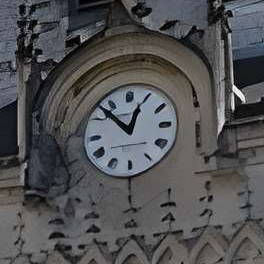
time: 12:52
